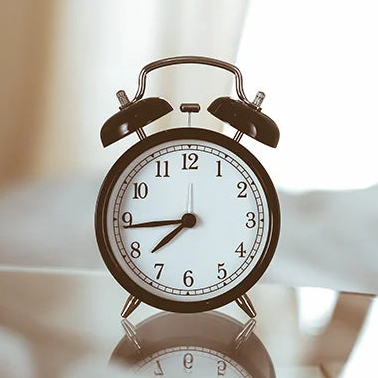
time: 7:43
